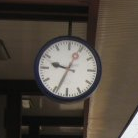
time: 9:34
